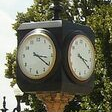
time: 3:20
